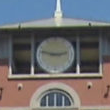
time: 2:47
